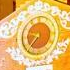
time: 9:36
